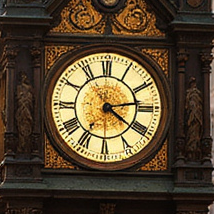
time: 4:13
